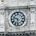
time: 9:31
